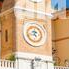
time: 4:42
